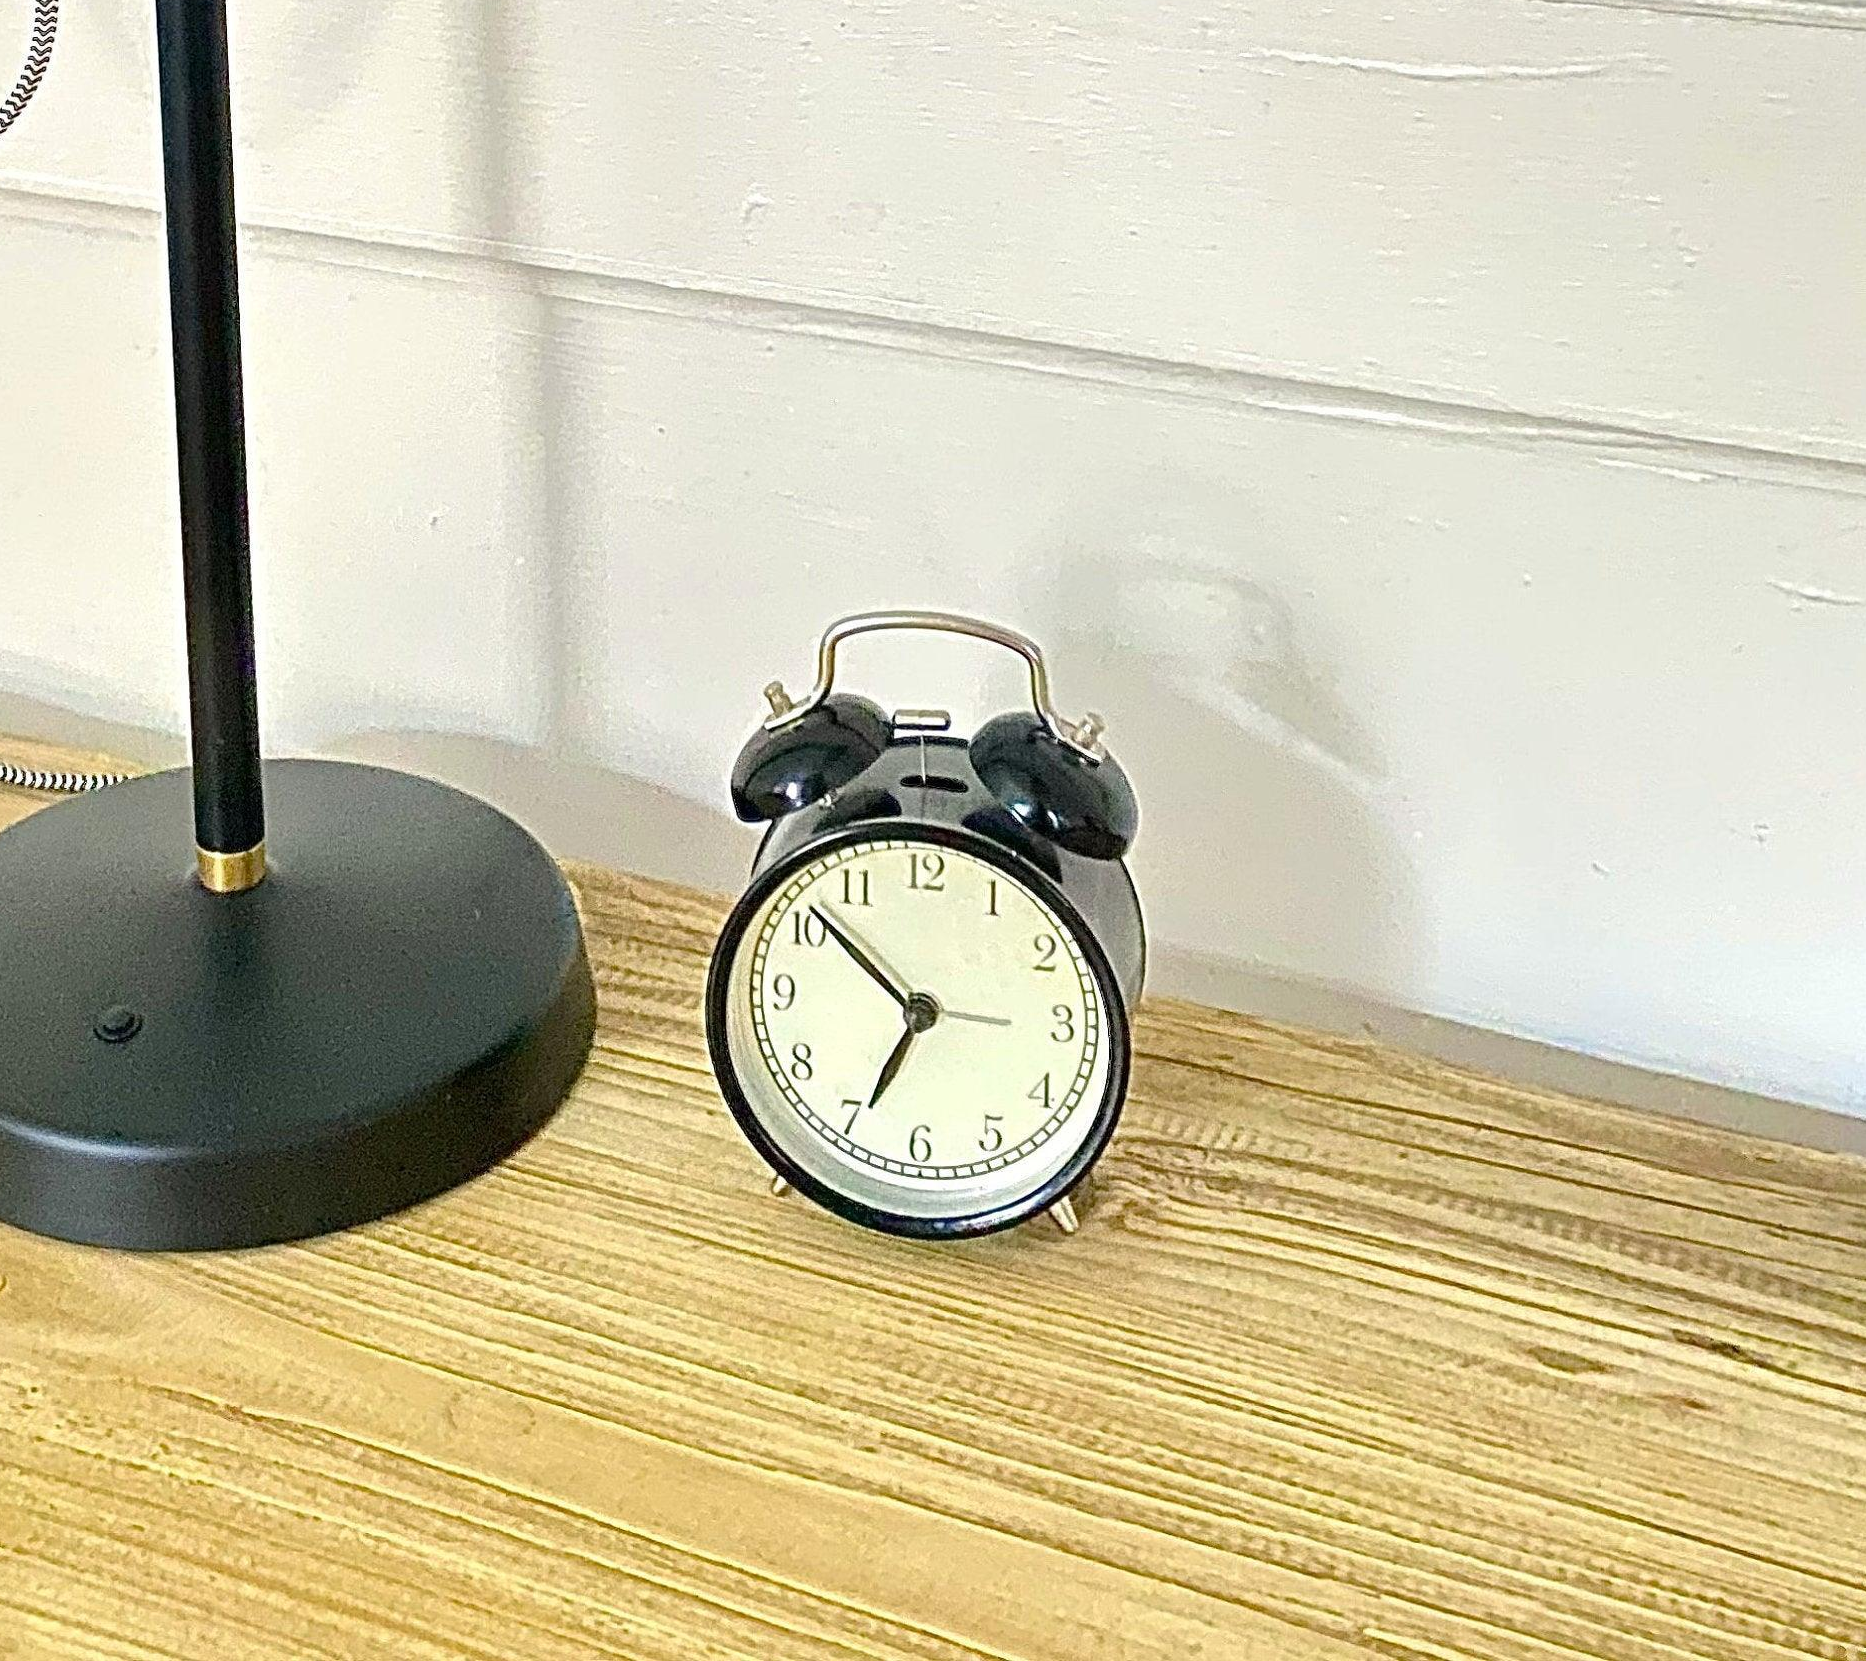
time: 6:51
